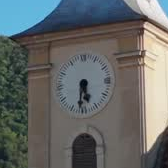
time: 5:31
